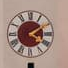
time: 4:09
